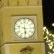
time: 5:47
